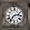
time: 2:36
